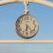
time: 6:22
